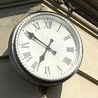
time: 6:50
